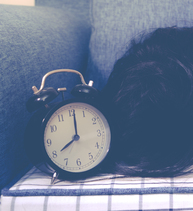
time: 8:01
